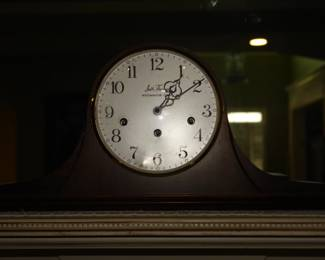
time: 1:09
